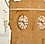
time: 4:46
